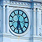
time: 6:25
